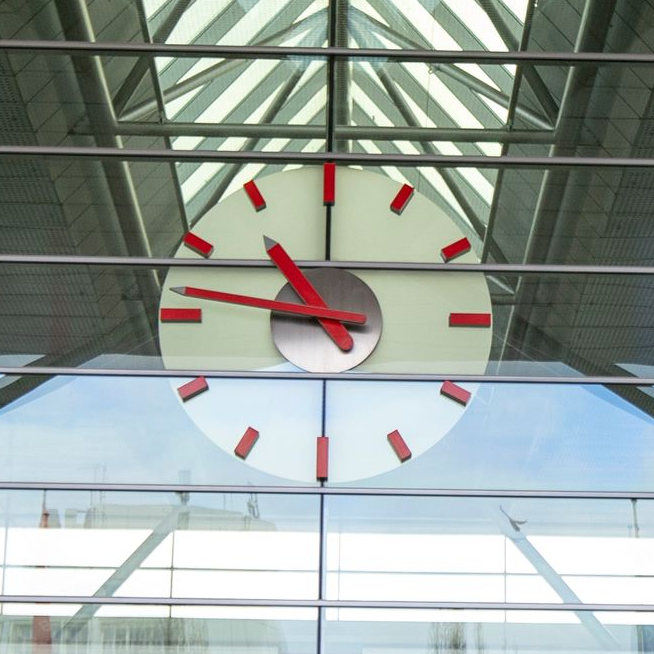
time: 10:47
